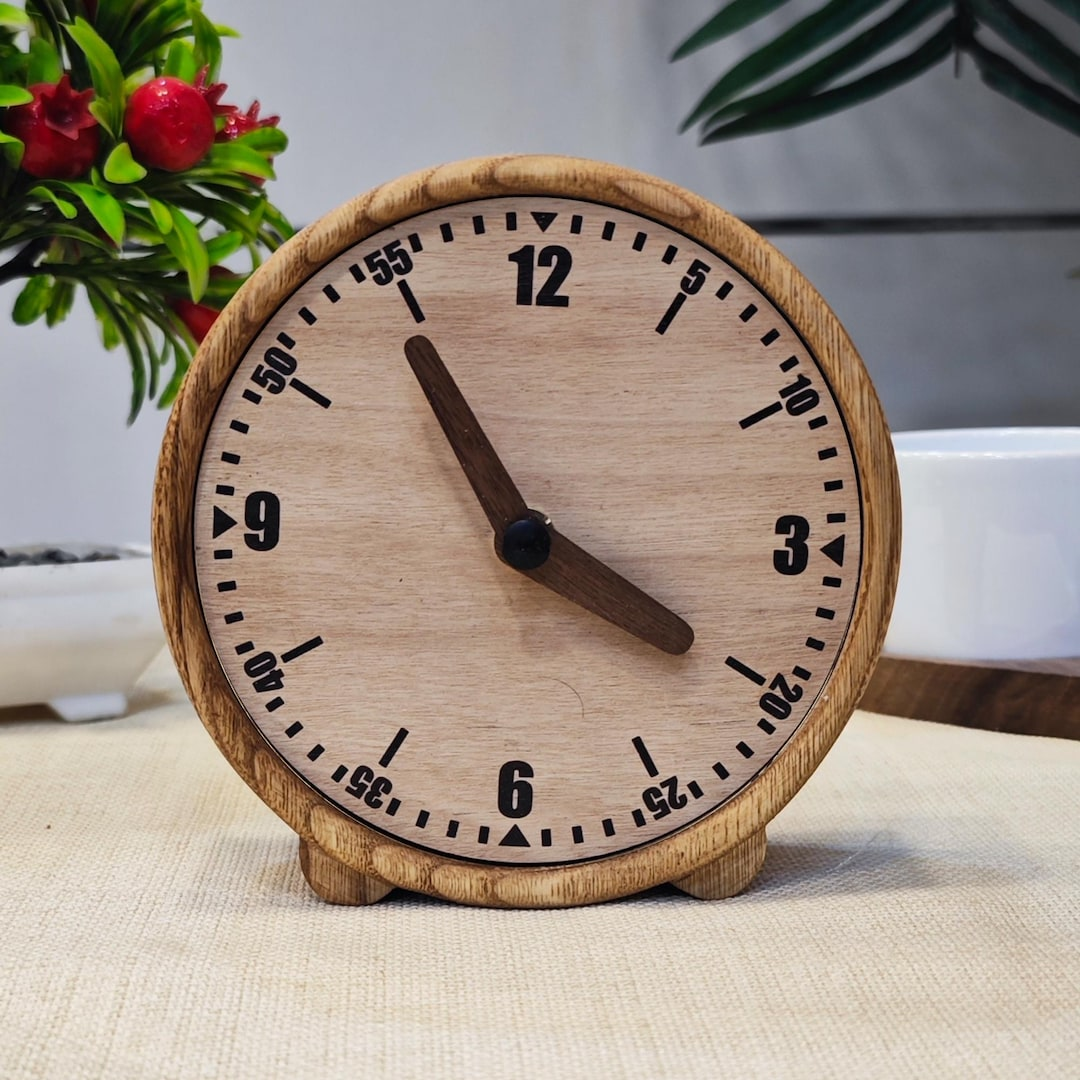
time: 3:54
